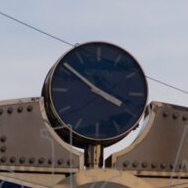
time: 3:51
